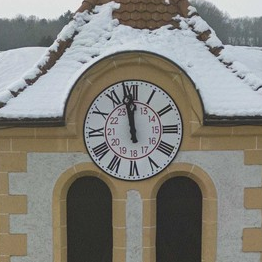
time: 11:58
